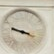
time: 3:47
